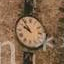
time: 9:53
